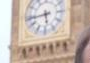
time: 5:43
